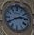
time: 2:40
